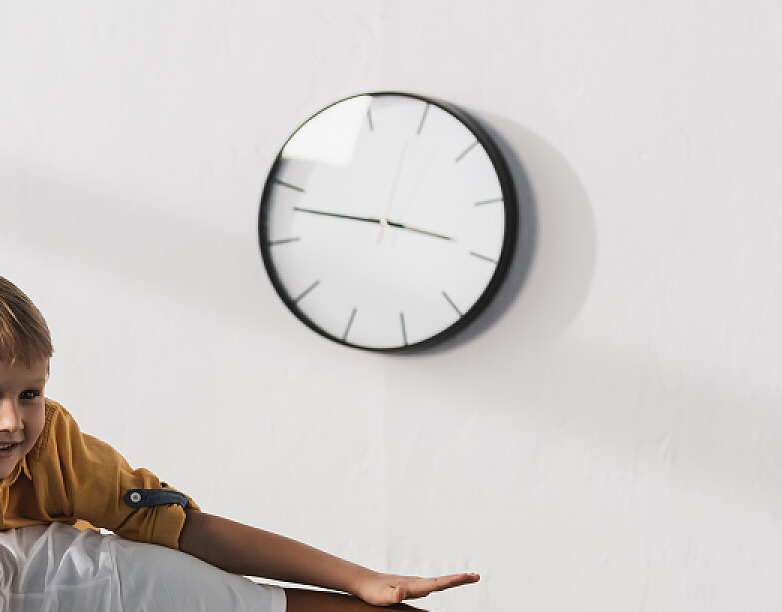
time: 3:47
